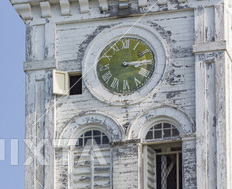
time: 3:13
